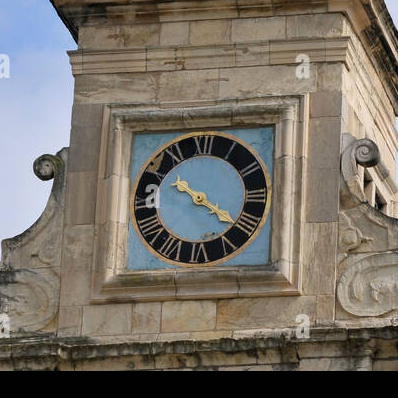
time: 10:21
